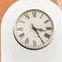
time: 3:24
